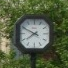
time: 7:49
